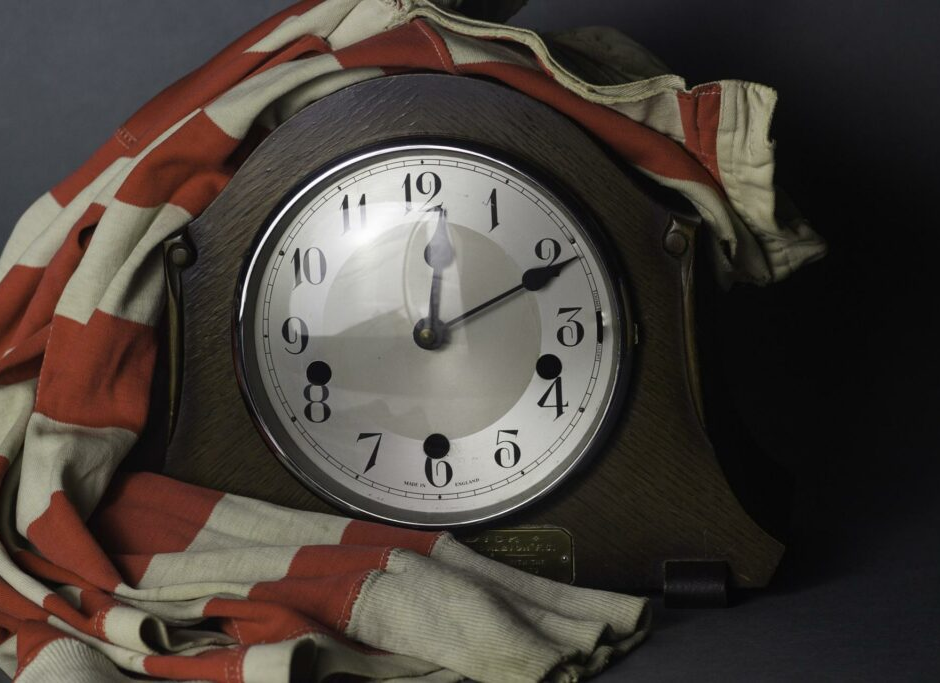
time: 12:10
